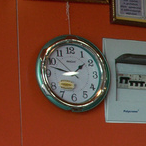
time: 1:47
